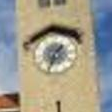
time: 1:33
